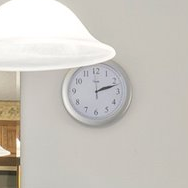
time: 2:12
